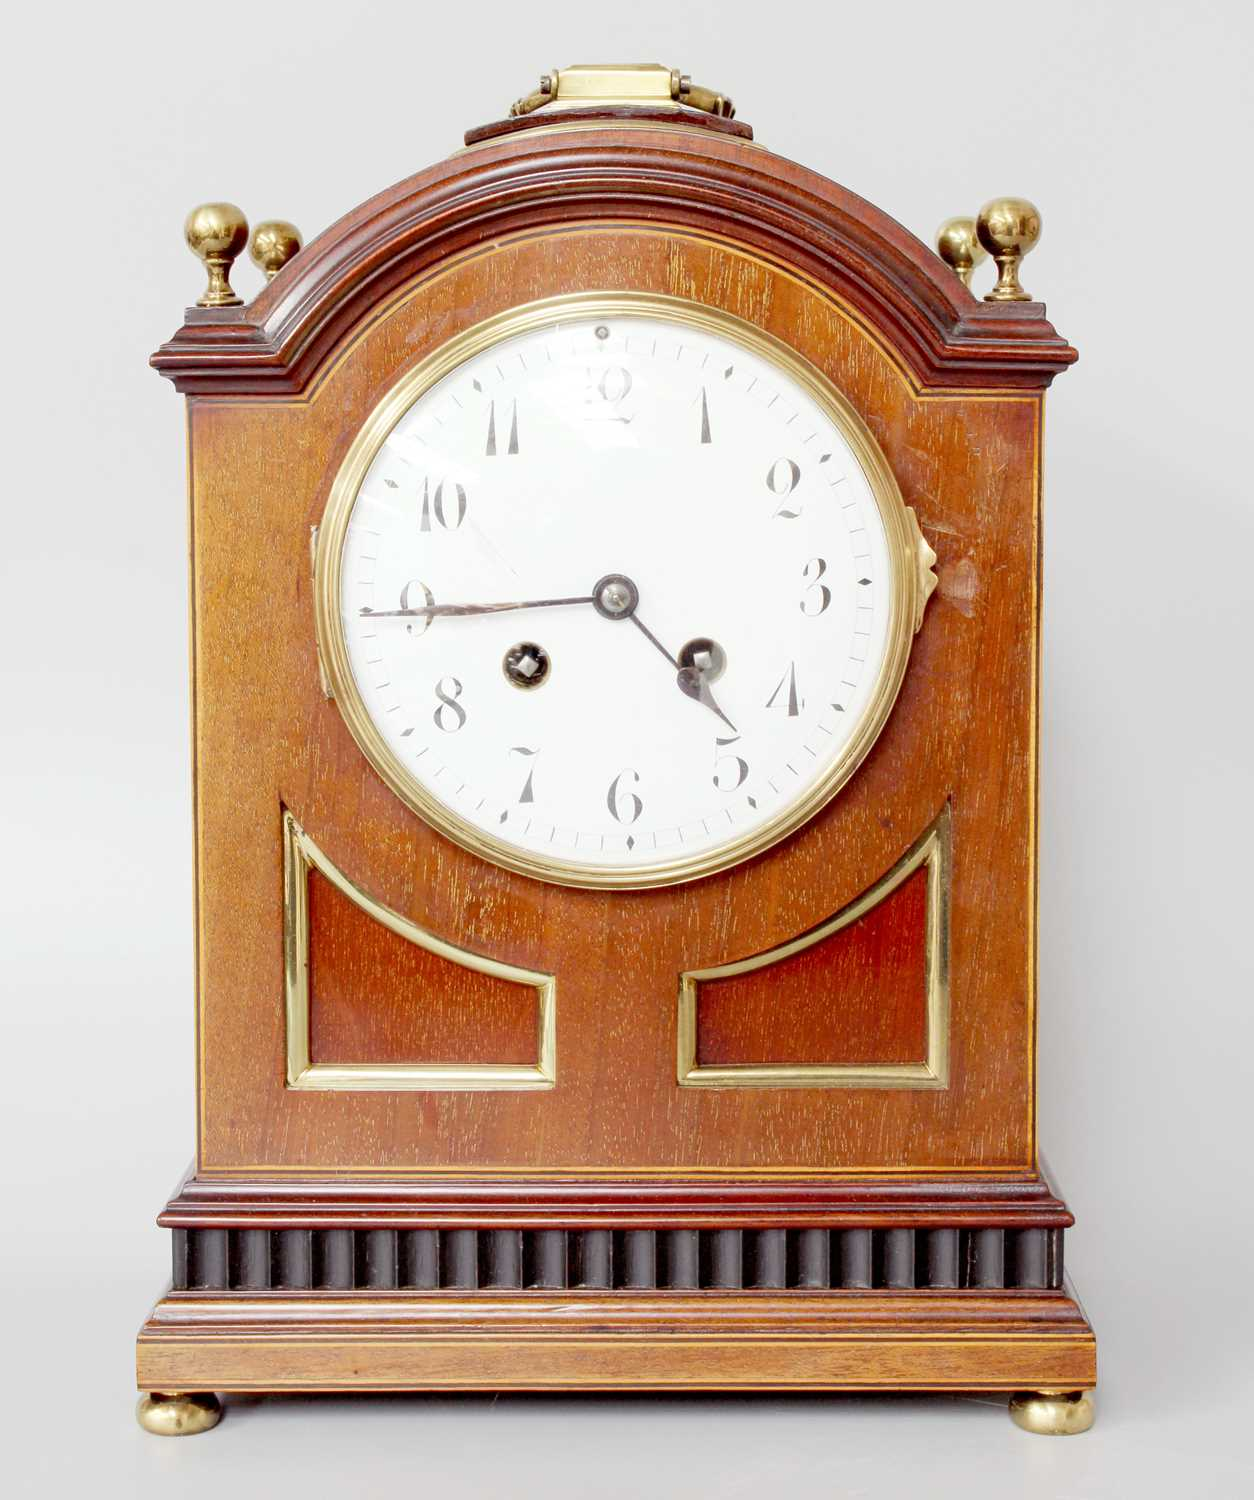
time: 4:44
